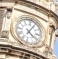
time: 4:04
